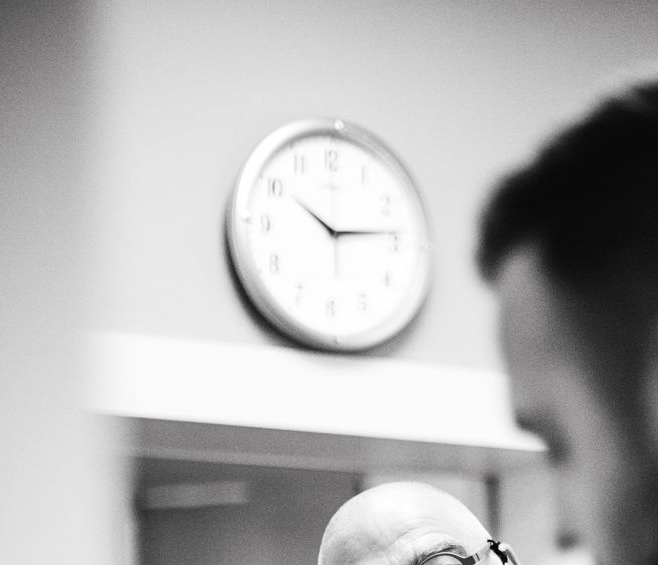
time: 10:13
